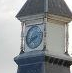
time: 8:40
